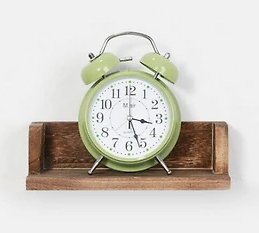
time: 3:26
